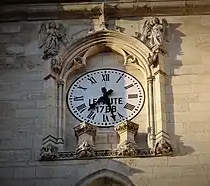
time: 7:27
